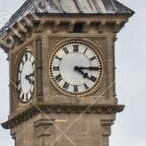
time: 4:15
